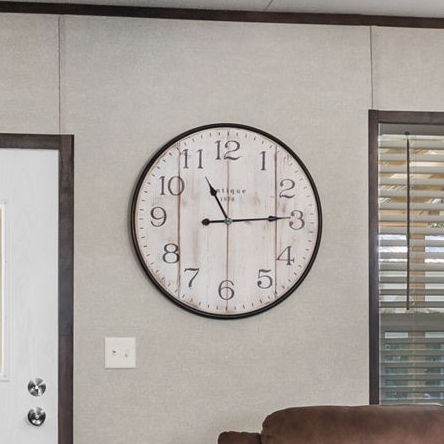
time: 11:14
